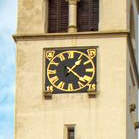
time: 1:21
